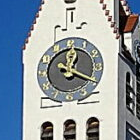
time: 12:19
